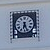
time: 6:26
